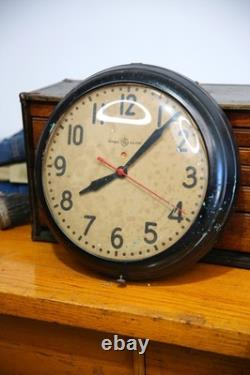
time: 8:07
